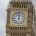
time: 12:00
